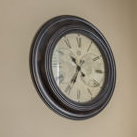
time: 10:34
